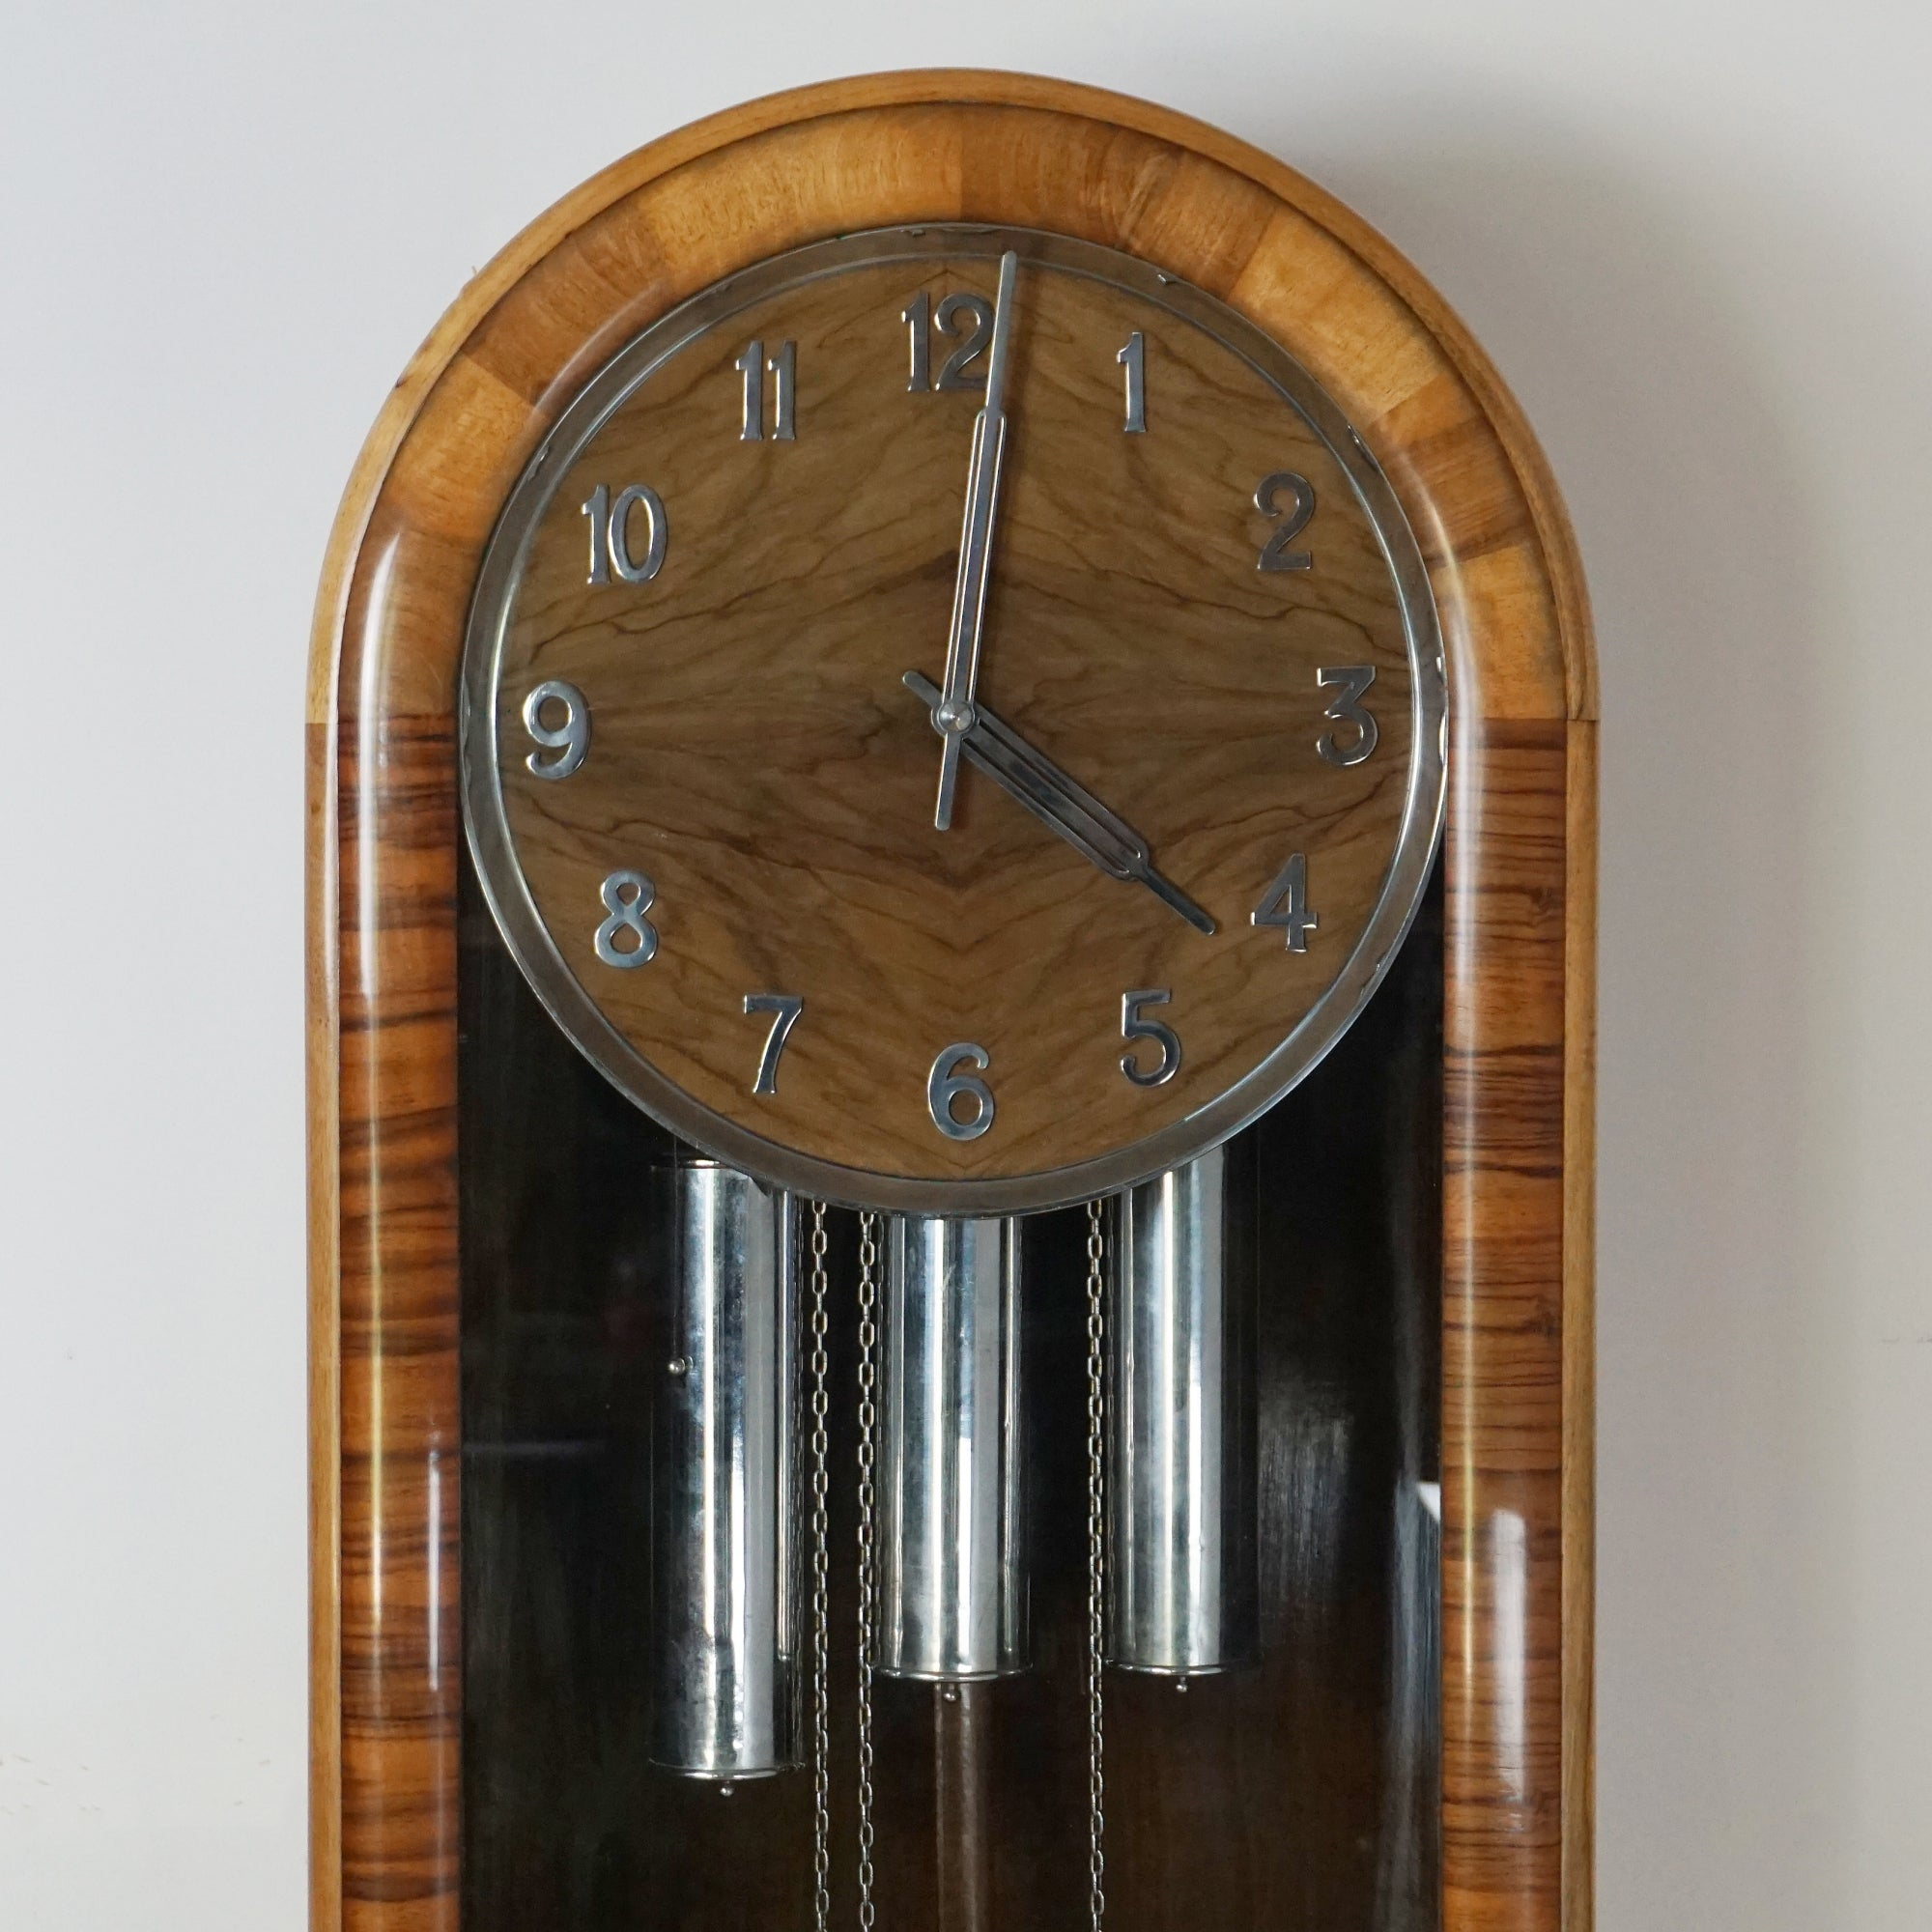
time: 4:01
